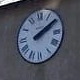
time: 2:09
